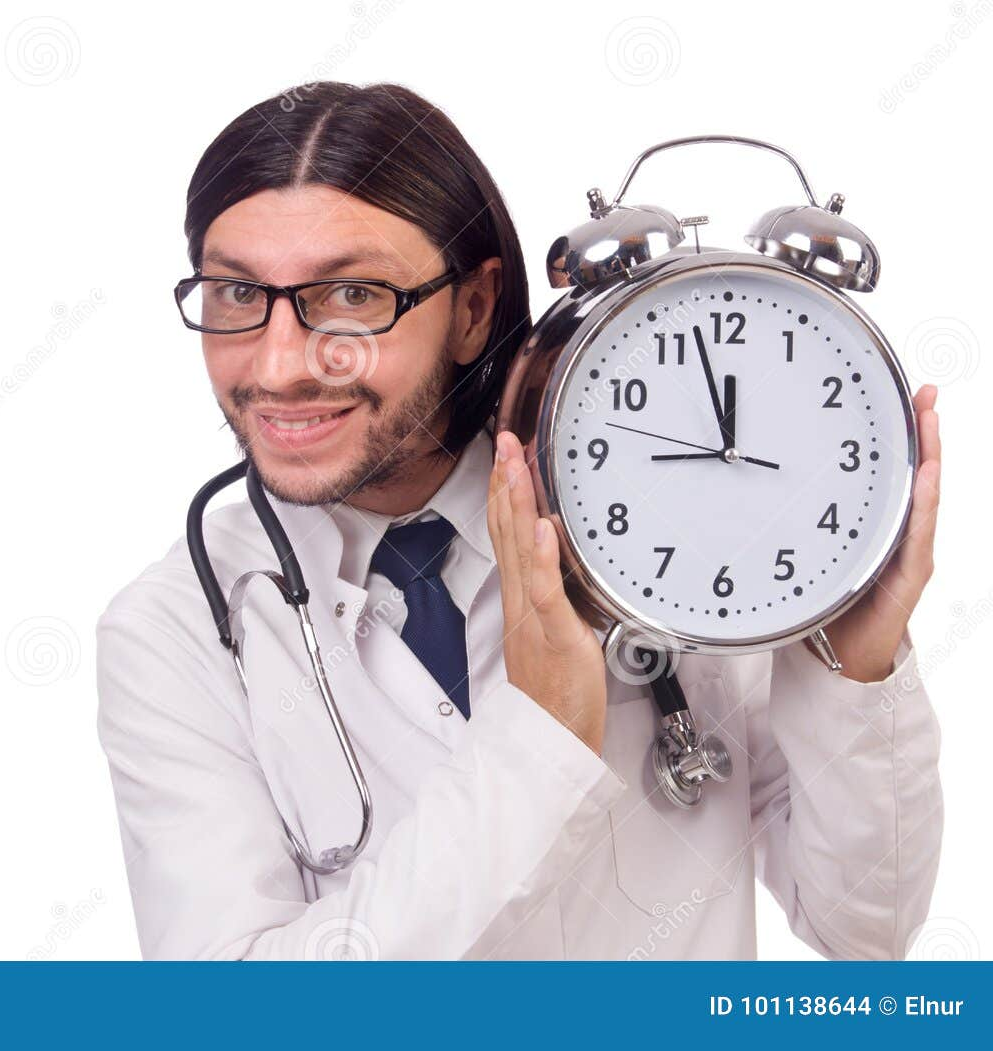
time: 8:57
